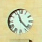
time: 11:22
